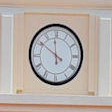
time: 11:50
